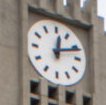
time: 12:11
